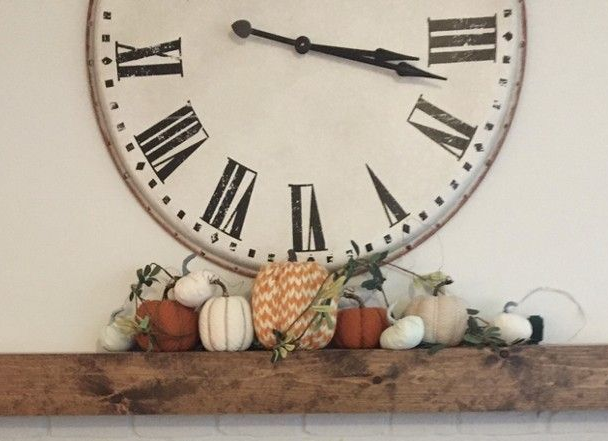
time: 3:17
